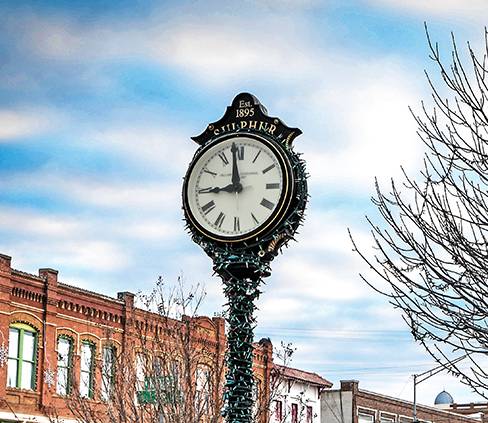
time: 8:58
